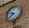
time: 9:38
